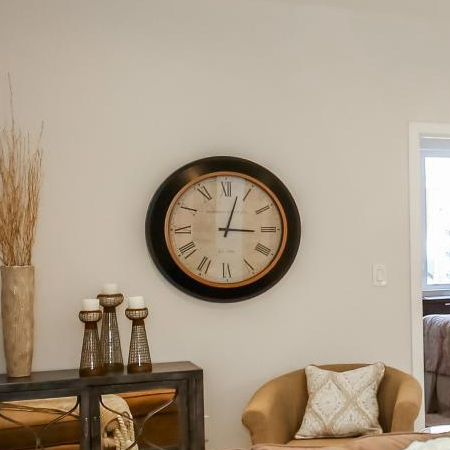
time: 3:02
